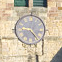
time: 9:22
